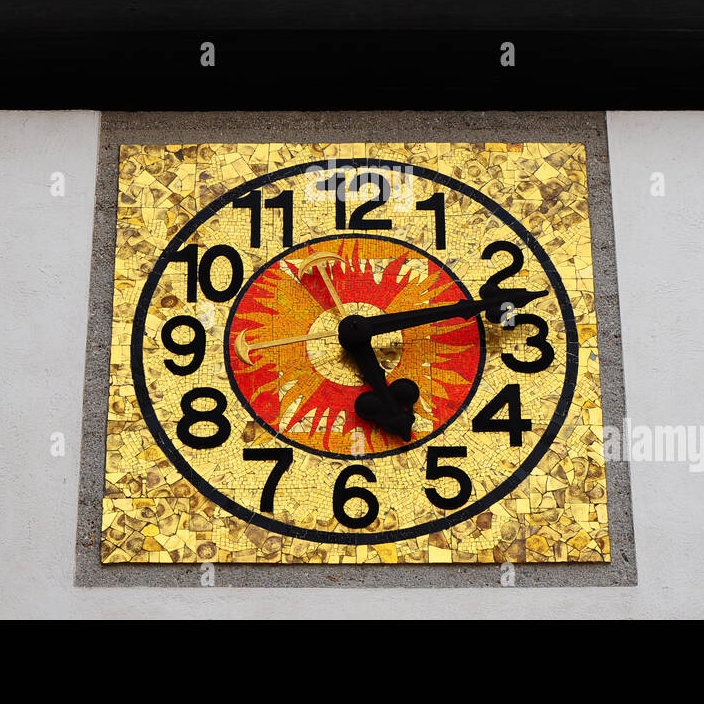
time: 5:12
